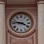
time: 3:46
